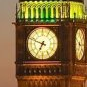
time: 6:48
